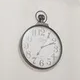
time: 7:11
